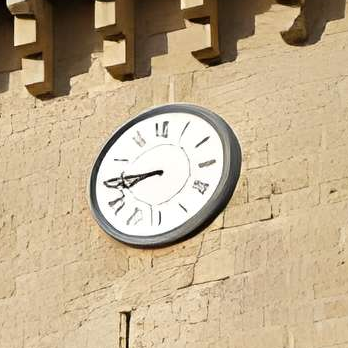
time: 8:45
